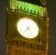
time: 7:24
